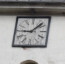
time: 9:07
